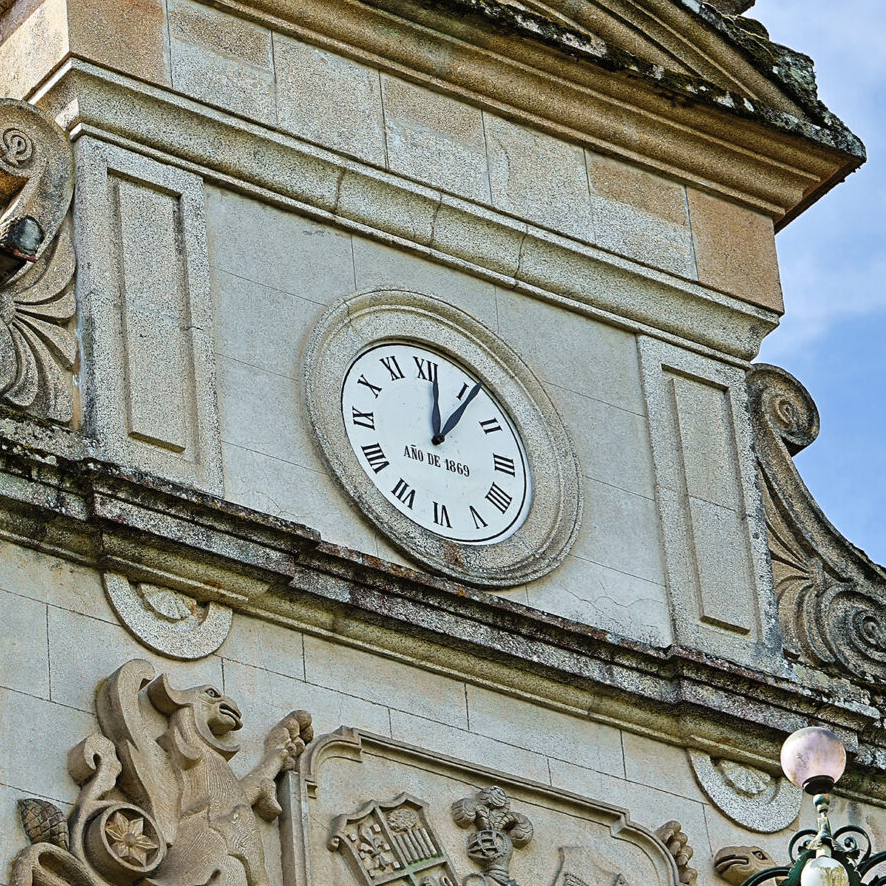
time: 12:06
